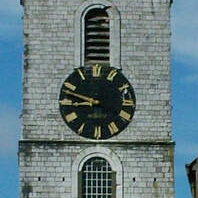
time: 8:48
